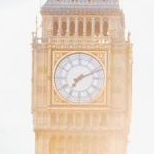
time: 7:11
